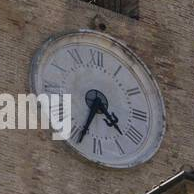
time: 4:34
